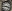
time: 3:45
